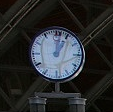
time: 1:02
